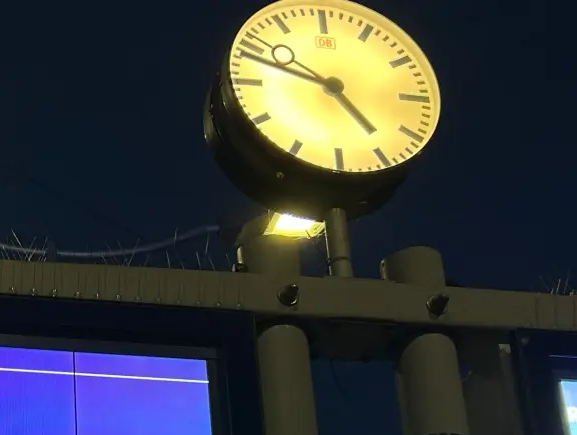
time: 4:48
